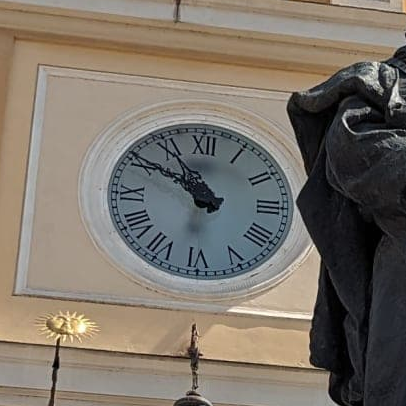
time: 10:50
